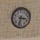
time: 3:32
